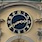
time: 2:40
